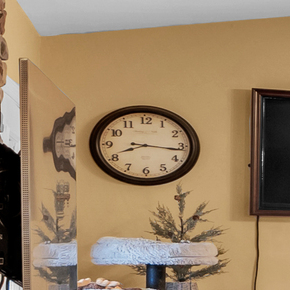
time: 8:16
